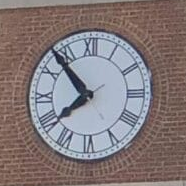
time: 7:53
